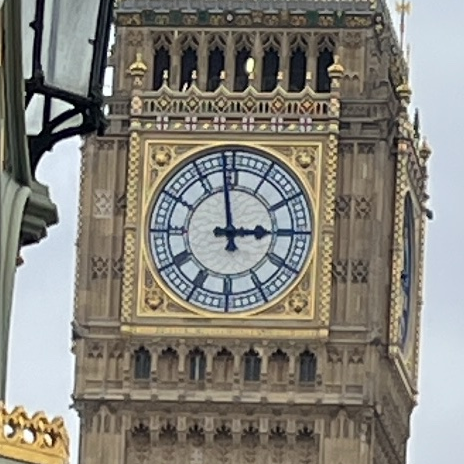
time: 2:58
